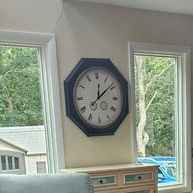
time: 12:08
